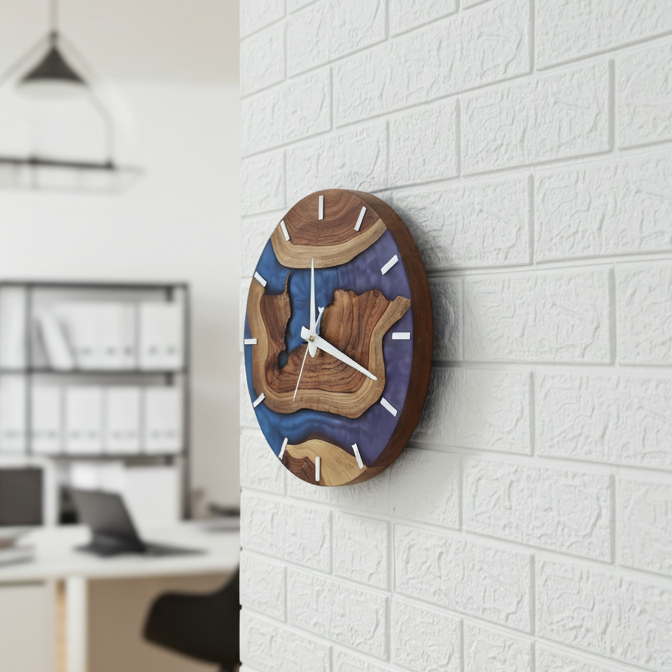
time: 8:18
